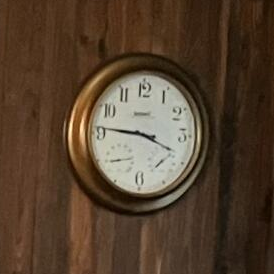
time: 3:46
